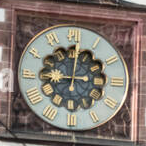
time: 9:01
